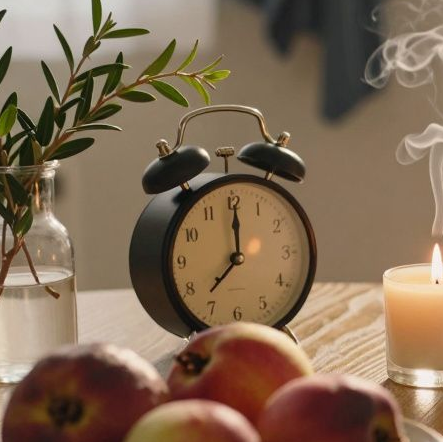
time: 7:00
